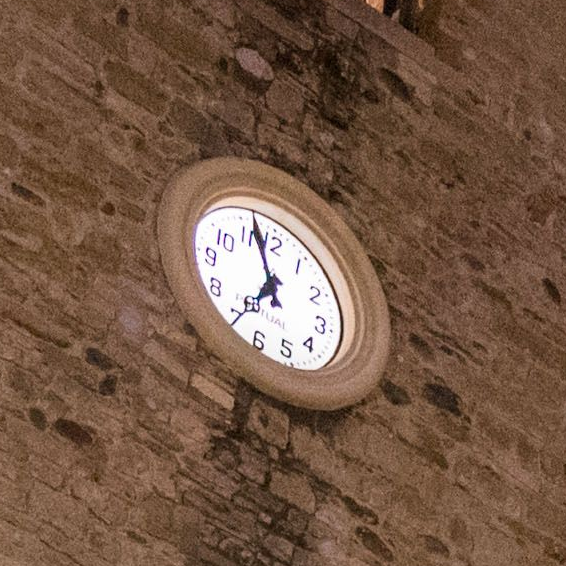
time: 6:57
